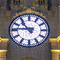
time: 10:46
